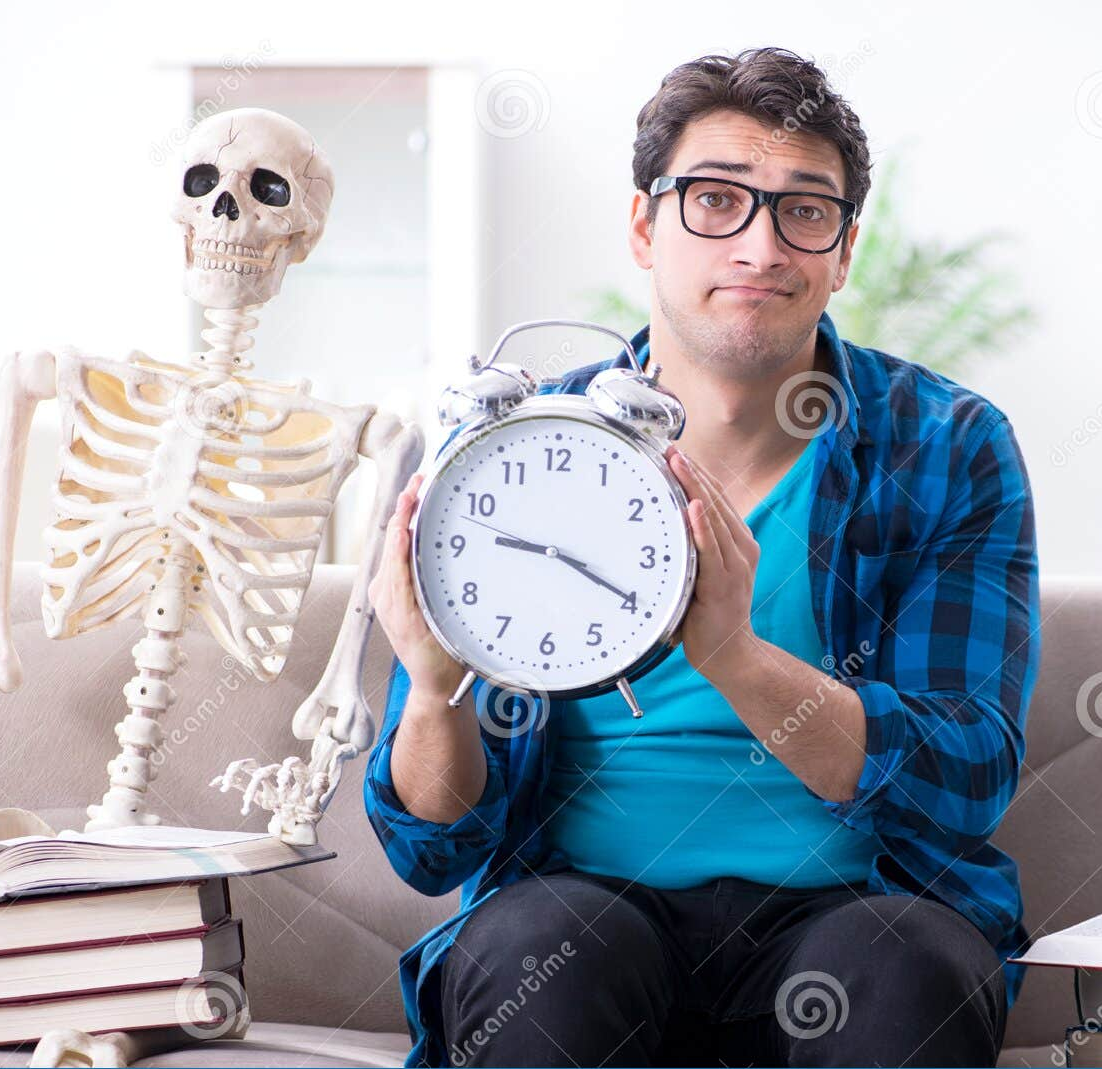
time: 9:19
